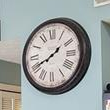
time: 1:40
